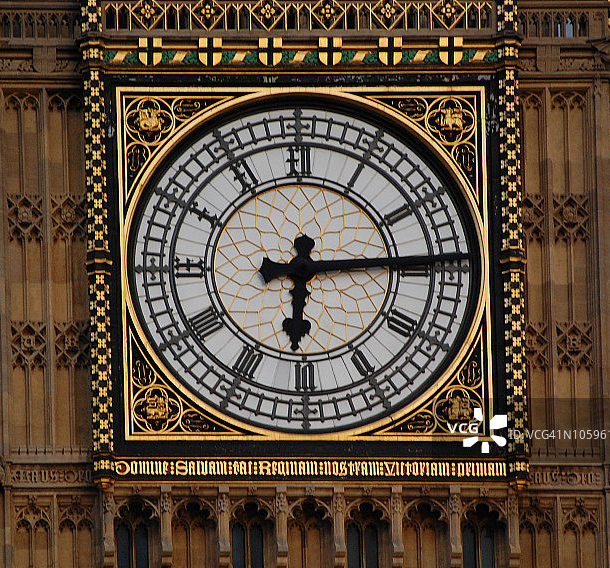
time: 6:14
